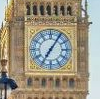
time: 7:05
